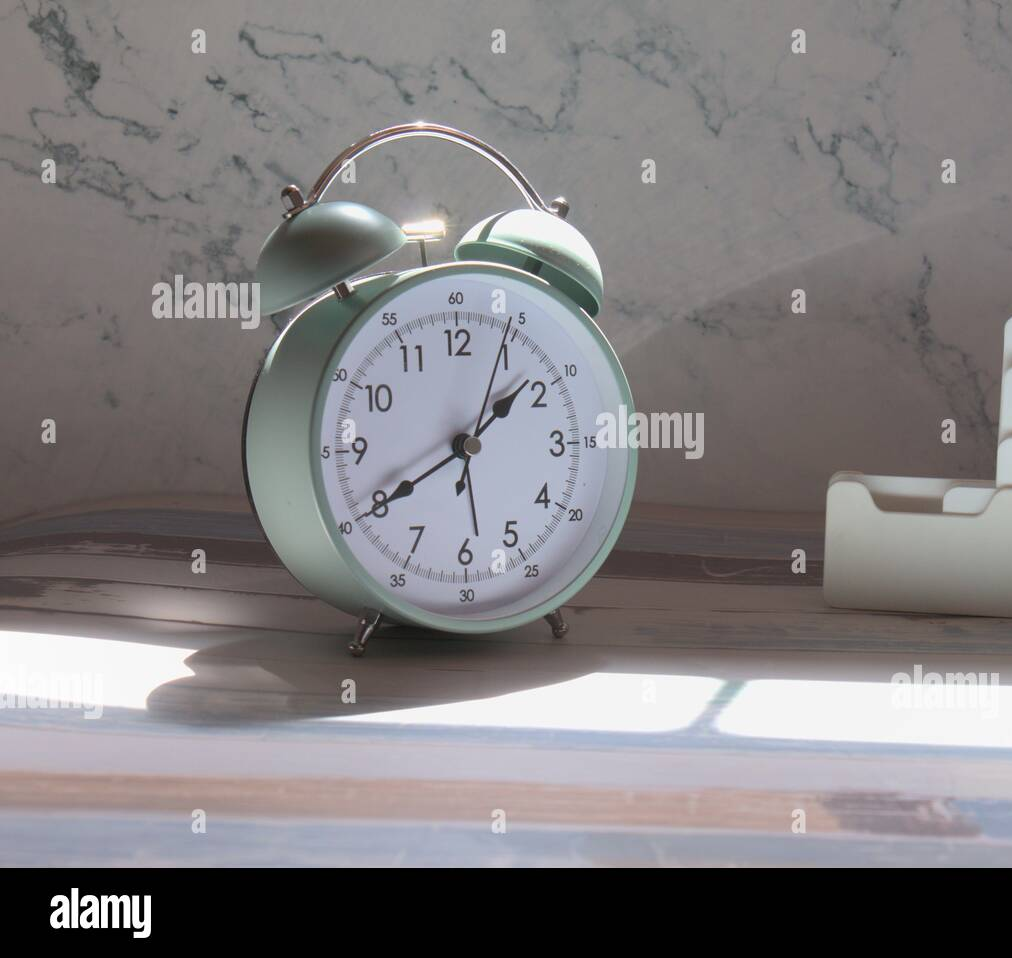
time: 1:40
